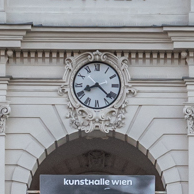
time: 8:21
